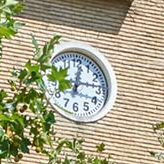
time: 12:14
